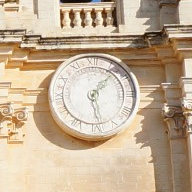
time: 1:28
